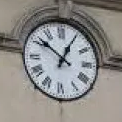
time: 12:51
